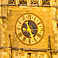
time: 5:14
